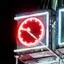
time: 9:22
